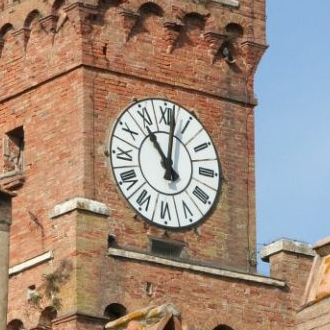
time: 11:01
